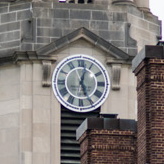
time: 12:26
